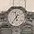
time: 11:35
